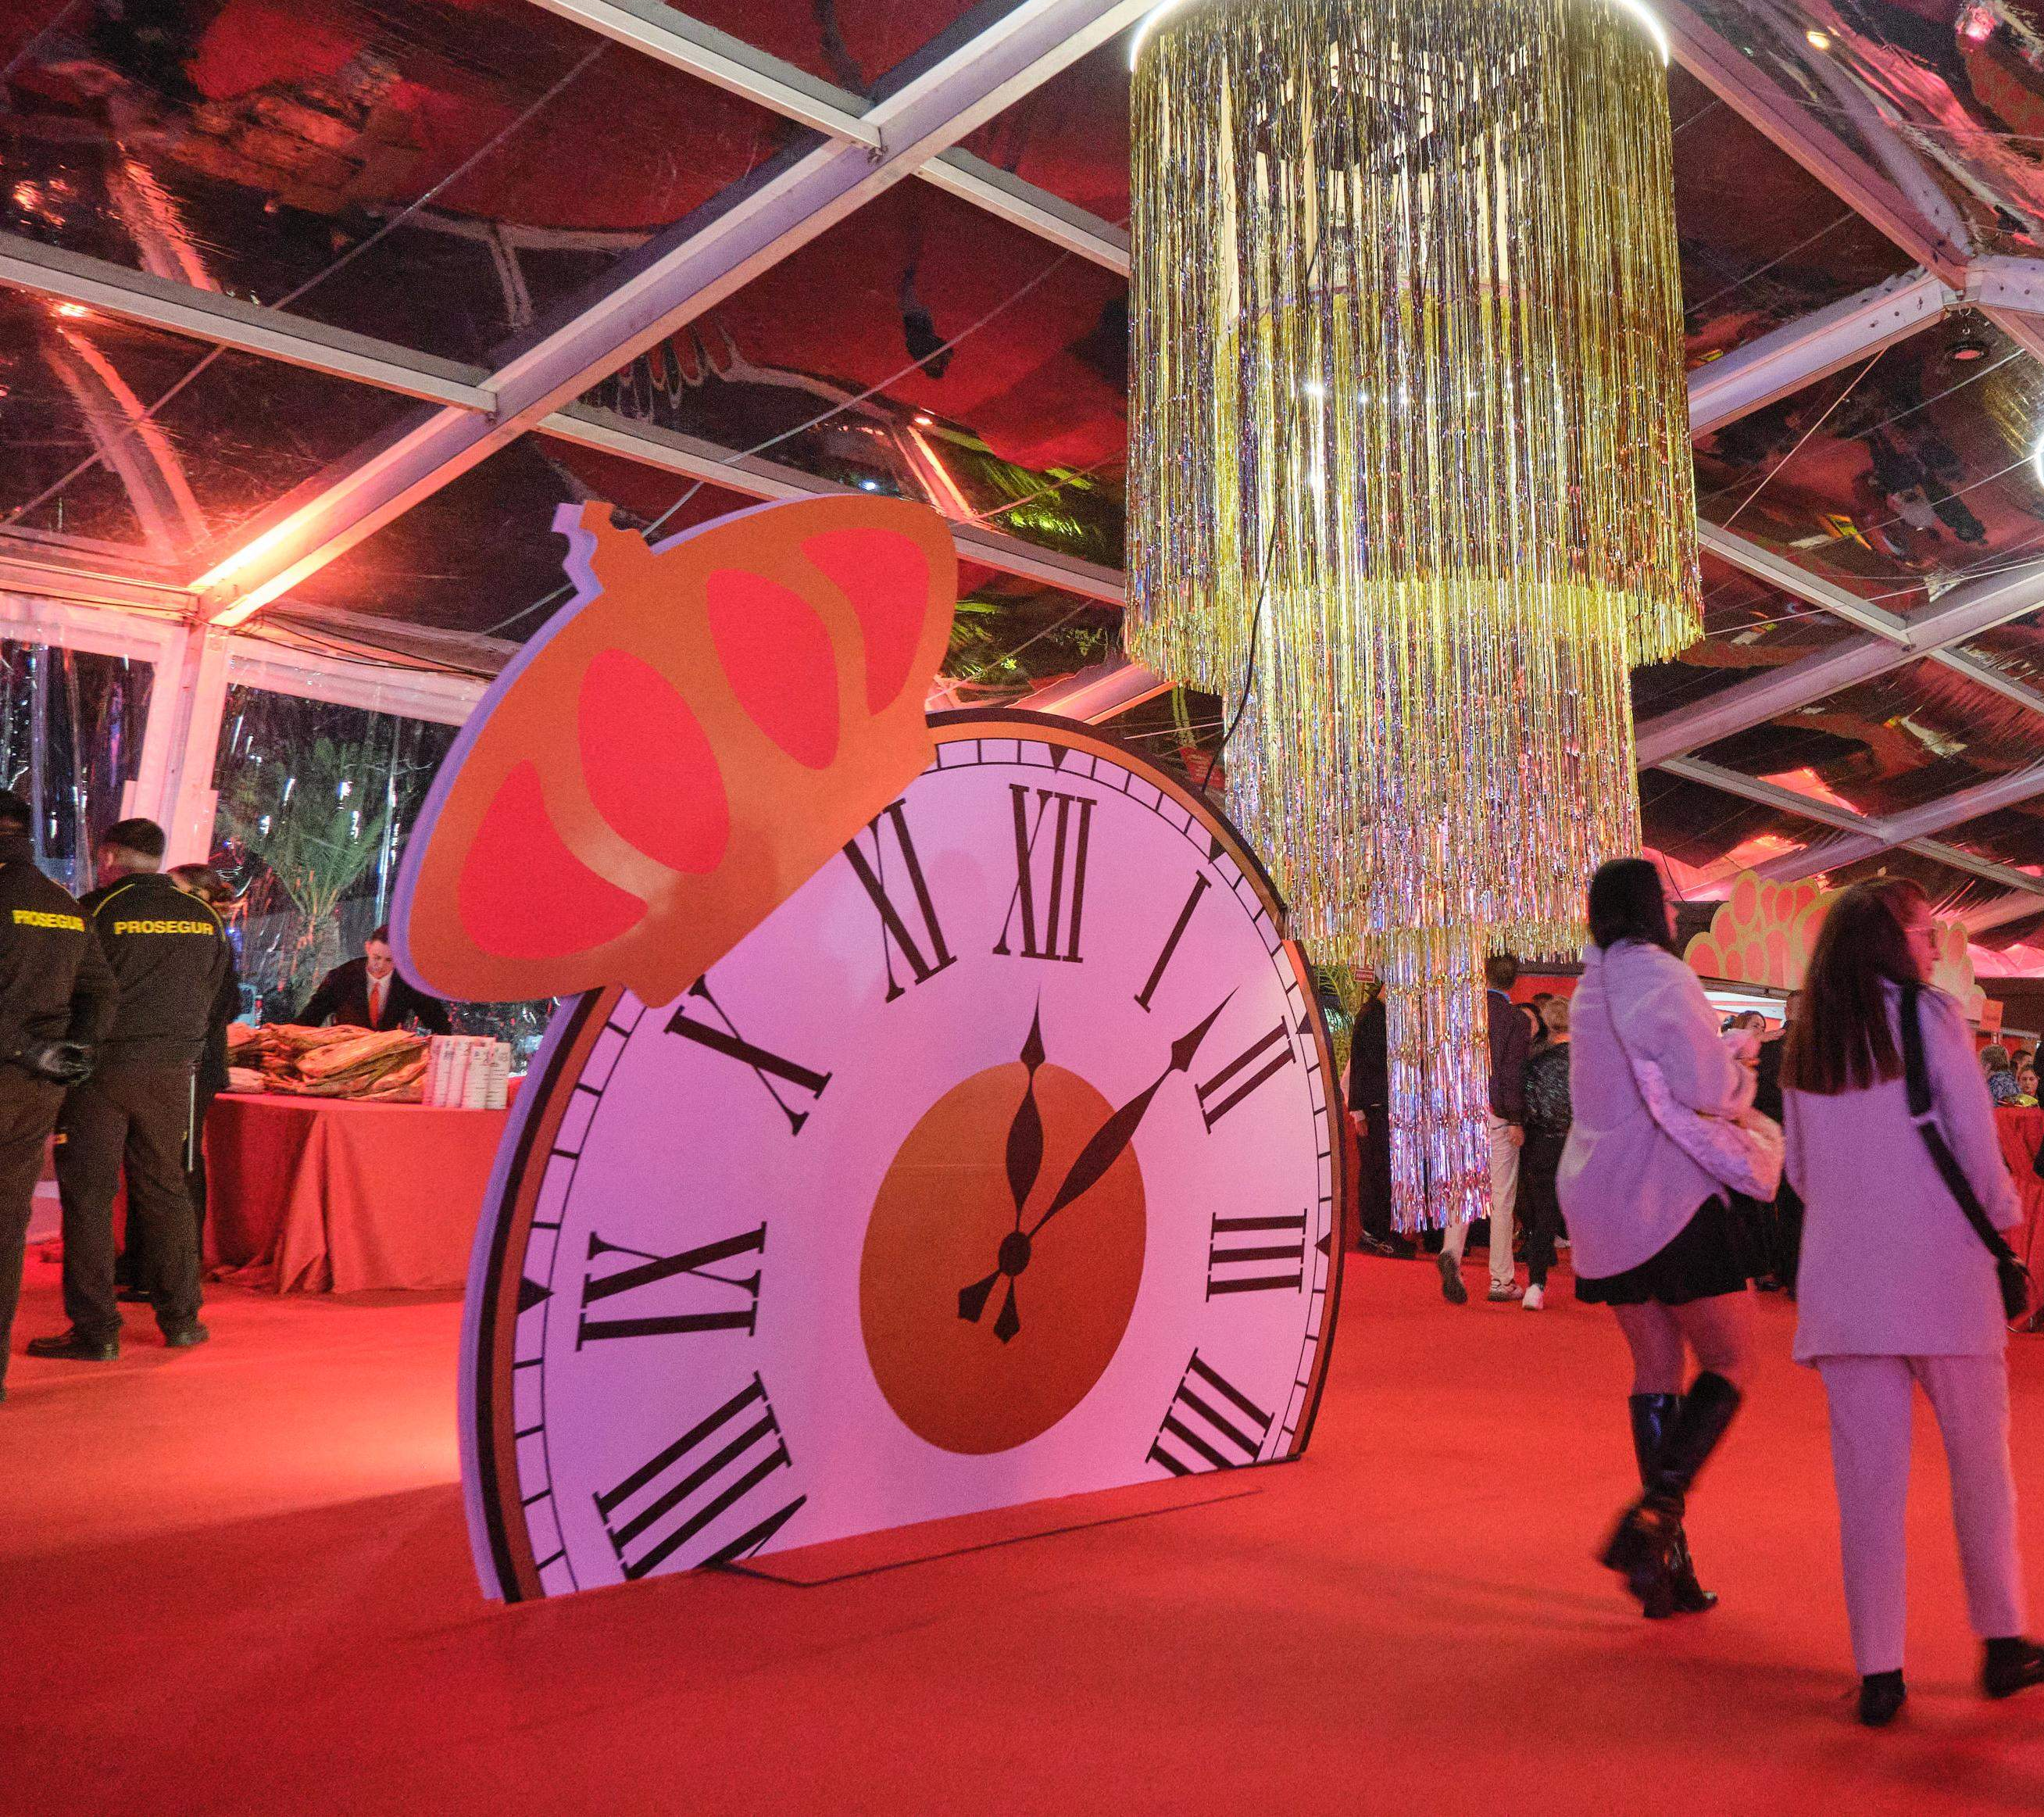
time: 12:07
